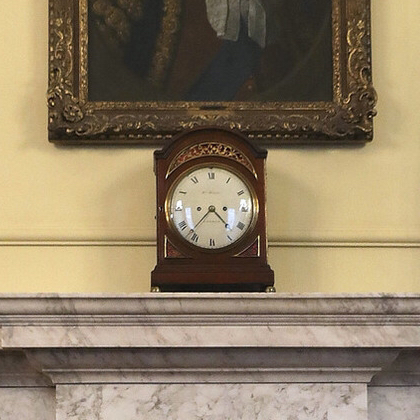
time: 4:37
